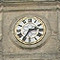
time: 2:35
